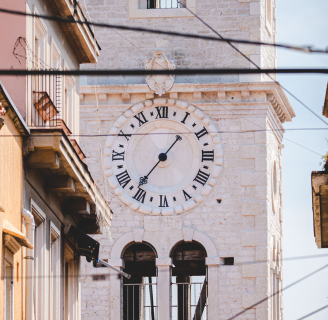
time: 1:36
